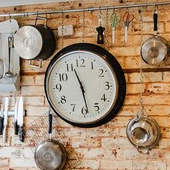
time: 11:28
